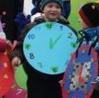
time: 12:07
